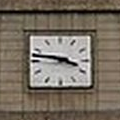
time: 3:47
